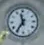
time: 11:35
